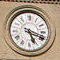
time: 5:18
